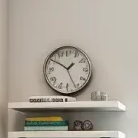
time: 1:50
